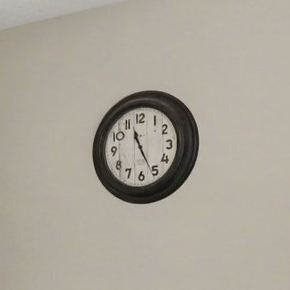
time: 11:25
